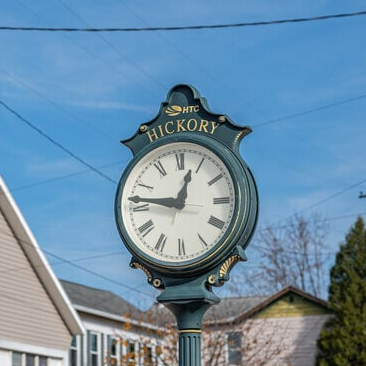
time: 12:46
